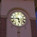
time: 5:44
